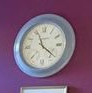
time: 11:21
